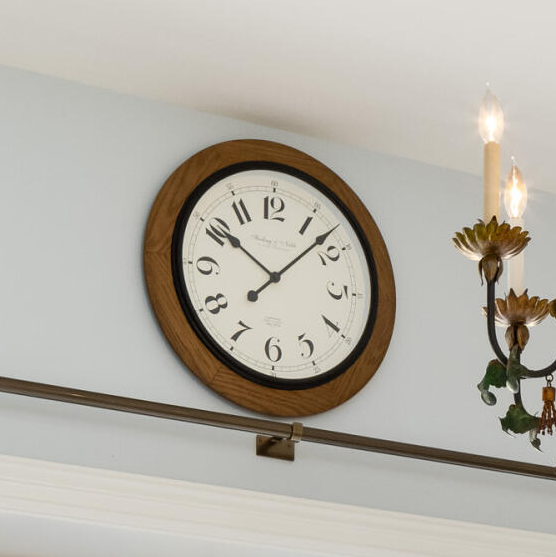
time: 10:07
